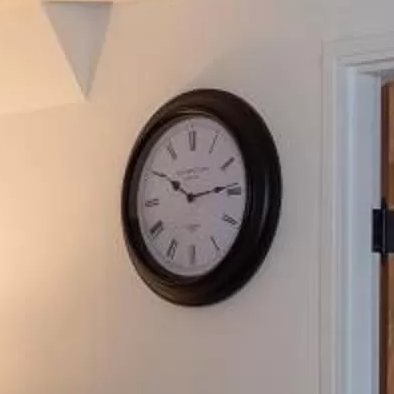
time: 10:14
